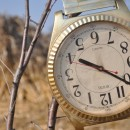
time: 10:21
